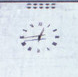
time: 12:44
